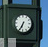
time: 6:34
